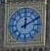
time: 12:10
